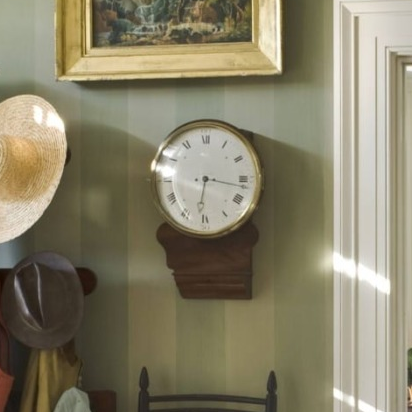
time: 6:16
